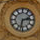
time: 2:32
